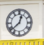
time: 12:38
